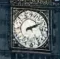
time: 2:10
